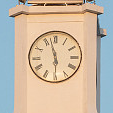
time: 5:57
